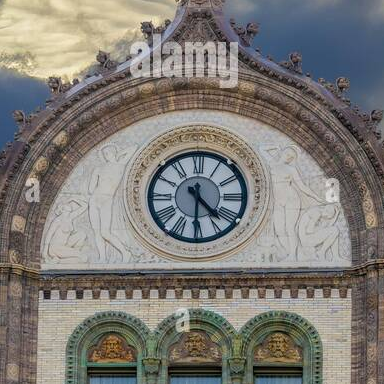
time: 4:30
